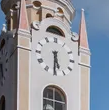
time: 5:30
